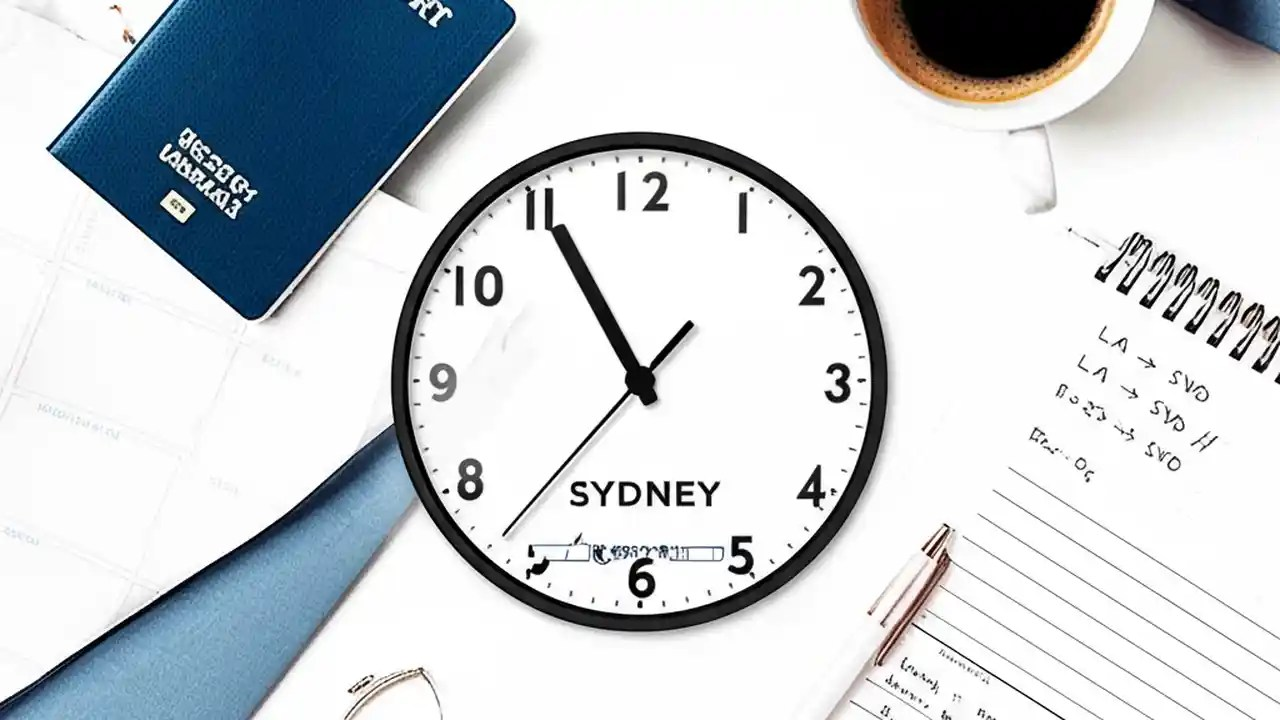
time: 10:55
